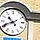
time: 10:41
